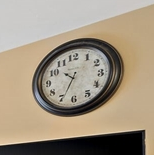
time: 10:34
